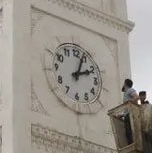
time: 2:03
